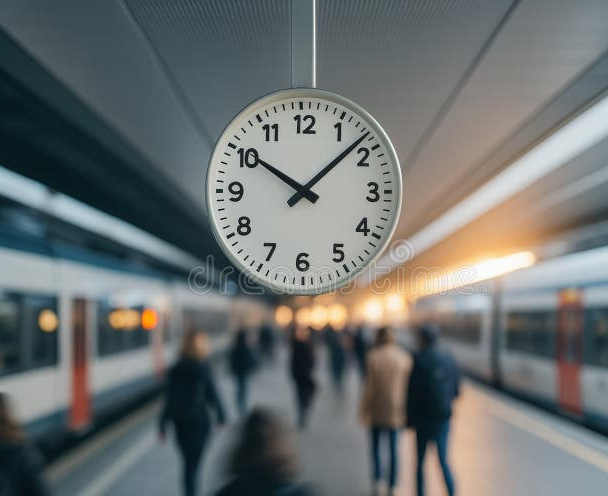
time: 10:08
